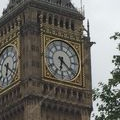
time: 6:21
